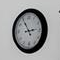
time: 2:54
